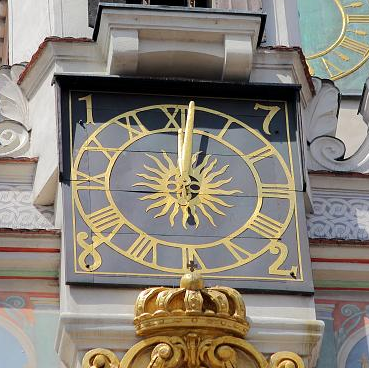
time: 1:01
